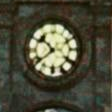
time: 10:39
